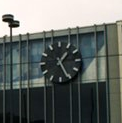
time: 1:25
